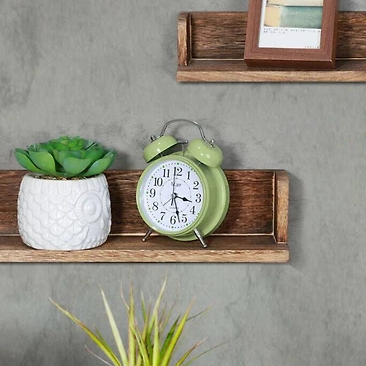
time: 3:27
